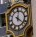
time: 12:21
